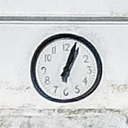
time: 1:03
